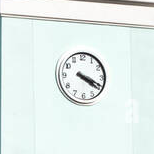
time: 4:19
